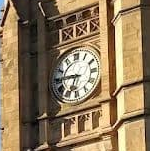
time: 6:45
